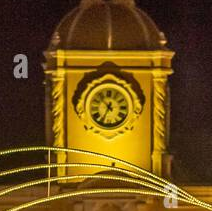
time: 10:34
